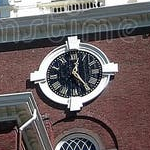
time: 12:23
